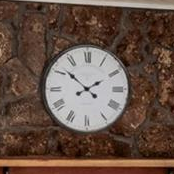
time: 1:51
